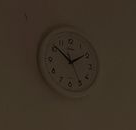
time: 1:51
